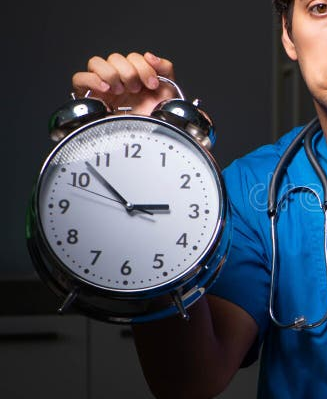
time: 2:52
